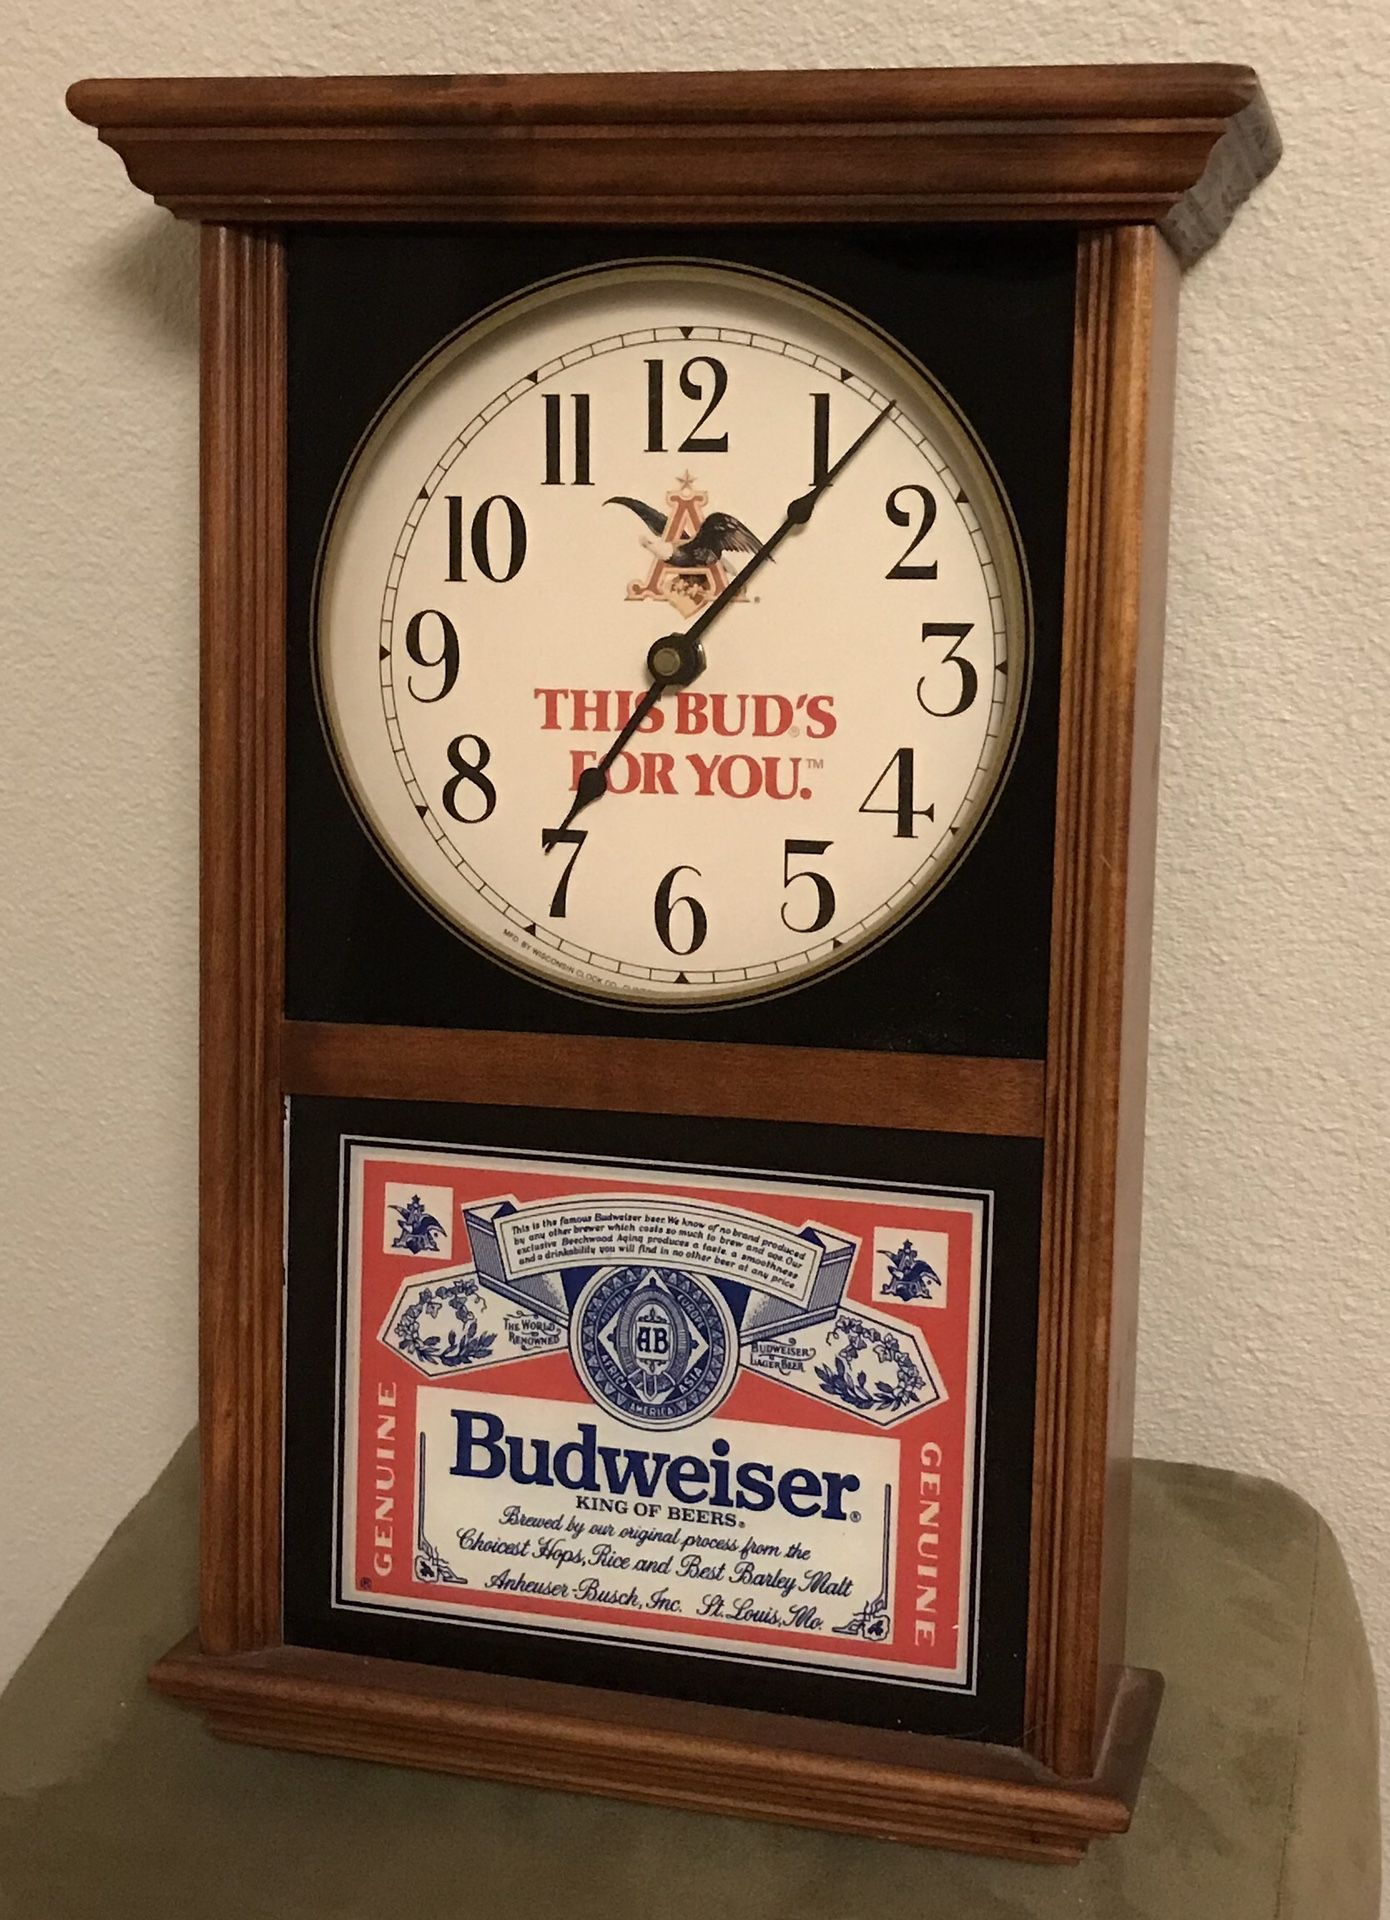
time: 12:06
